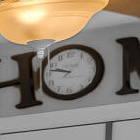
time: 9:47
